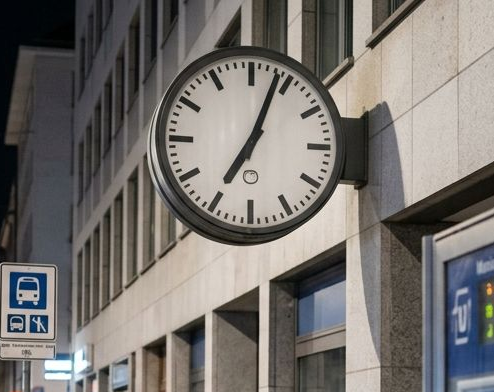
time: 7:03
